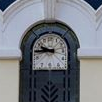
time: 9:44
